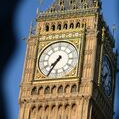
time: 7:35
